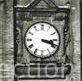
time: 3:18
